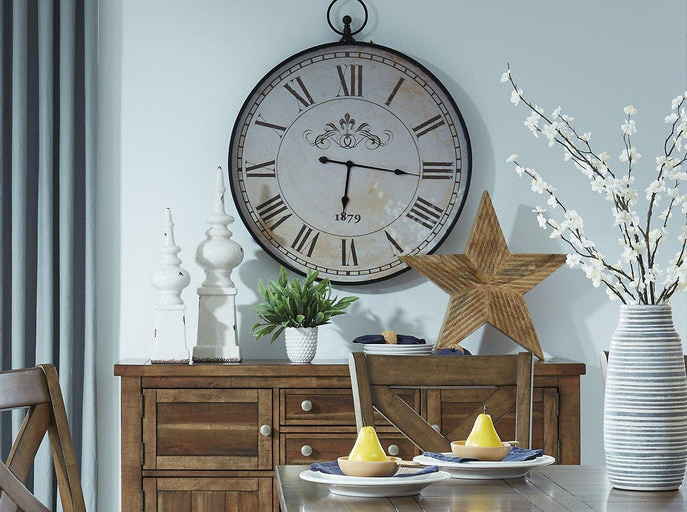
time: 6:15
